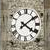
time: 4:09
